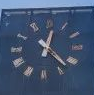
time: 12:22
